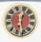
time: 12:28
